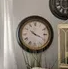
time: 10:18
